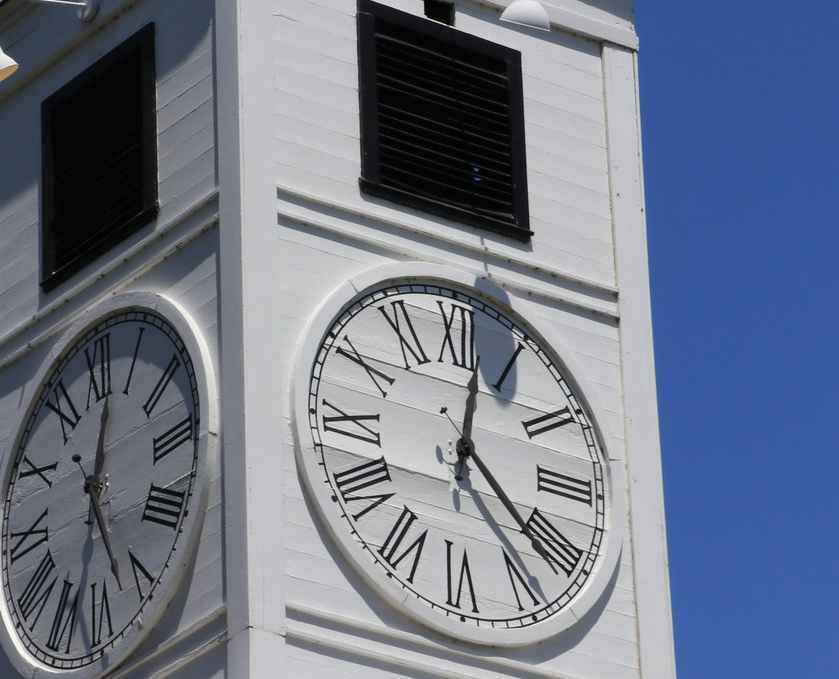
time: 12:21
